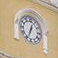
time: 12:34
